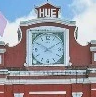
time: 1:50
